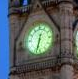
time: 12:32
